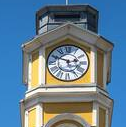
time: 2:48
